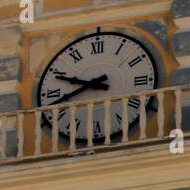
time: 9:42
